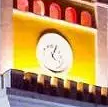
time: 4:04
